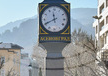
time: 11:40
